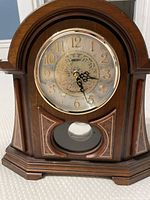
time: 5:17
